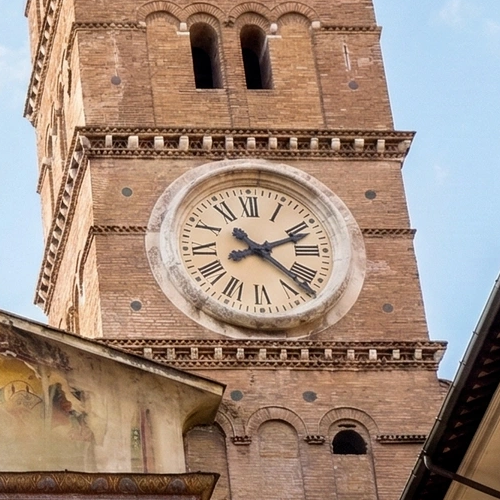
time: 2:22
